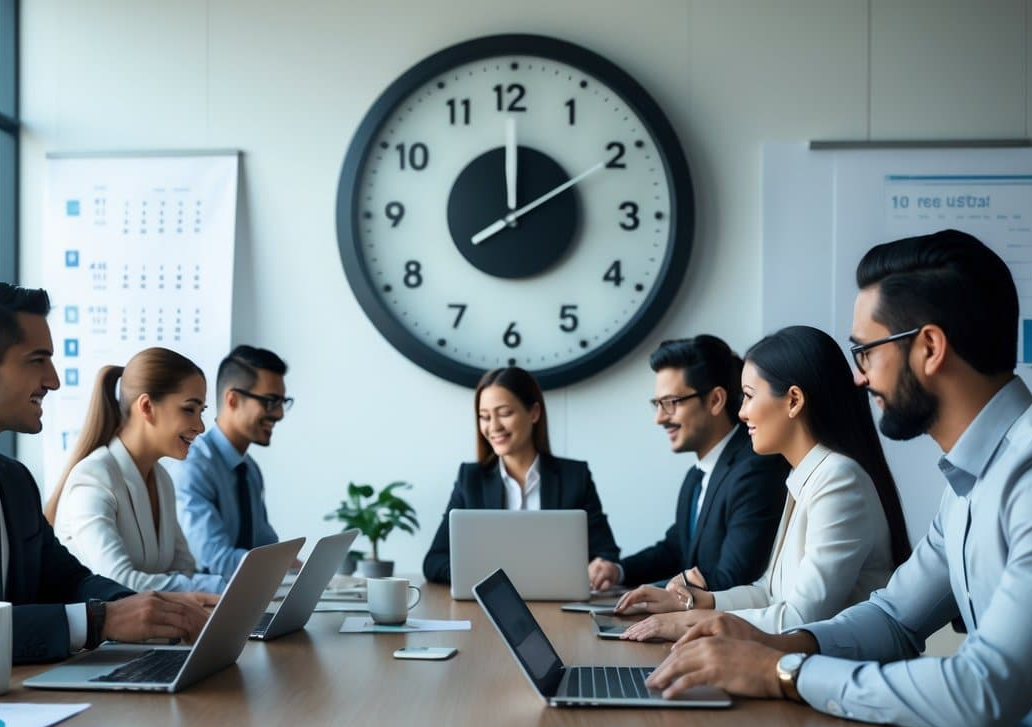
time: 12:00
